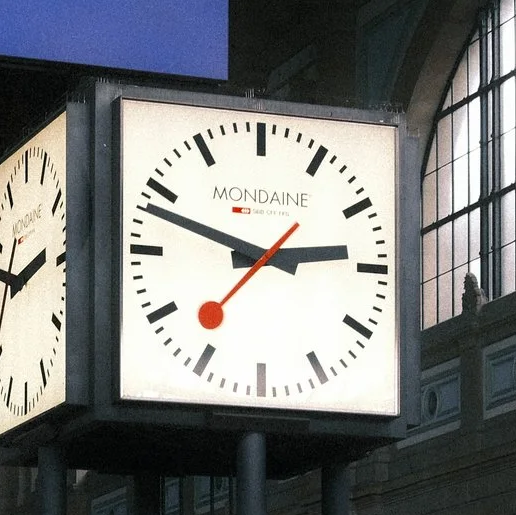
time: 2:48
